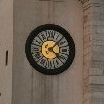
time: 4:07
